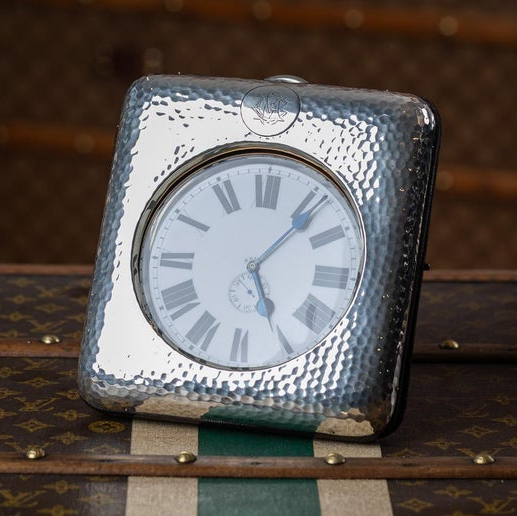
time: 5:07
